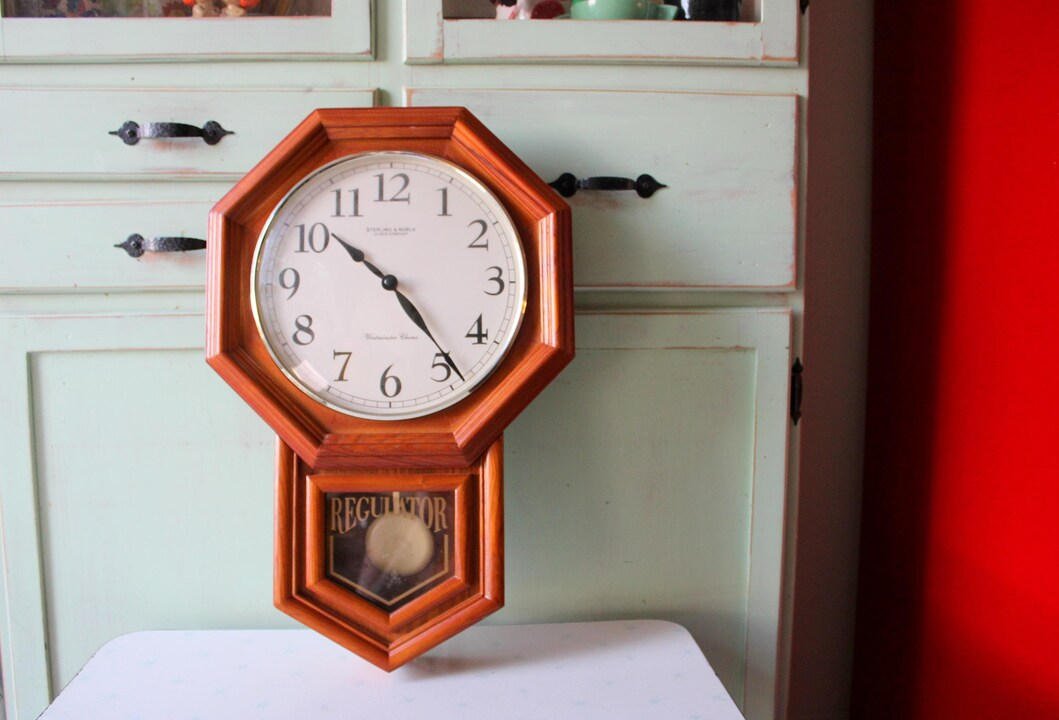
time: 10:23
